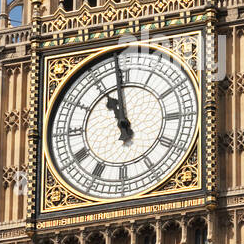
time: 10:59
